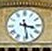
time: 3:28
